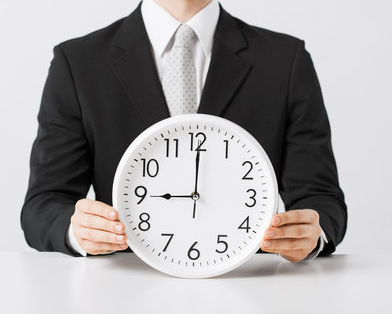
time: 9:00
